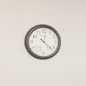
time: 12:22
